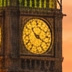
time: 3:52
